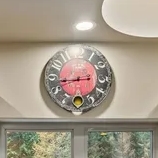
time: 2:43
